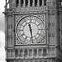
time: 11:28
